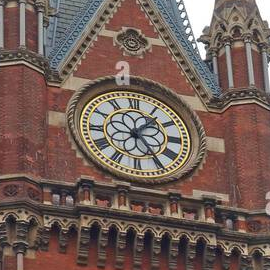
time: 1:24
